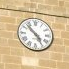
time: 4:52
